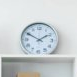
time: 1:50
